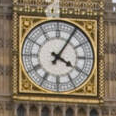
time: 4:05
